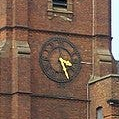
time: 3:26
